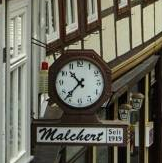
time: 10:37
